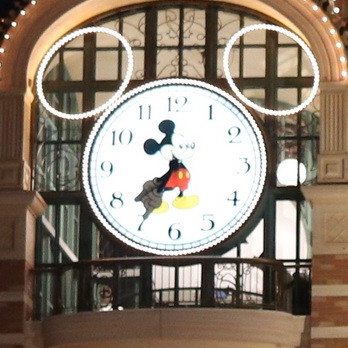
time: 7:34
